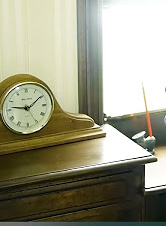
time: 9:09
